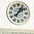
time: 1:08
